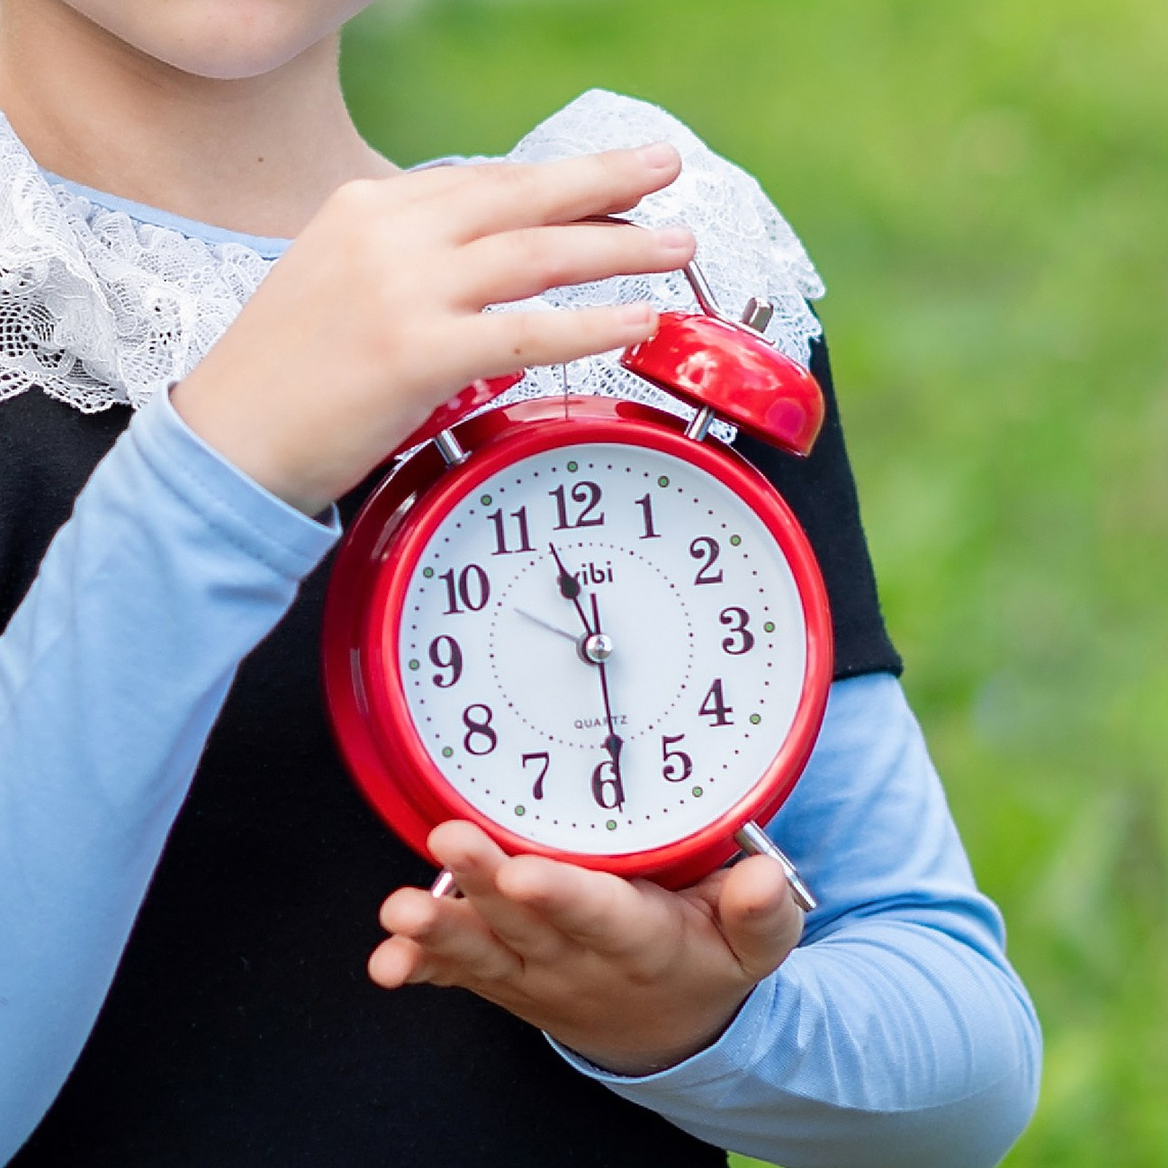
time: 11:29
